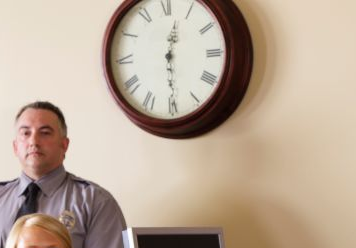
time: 12:29
